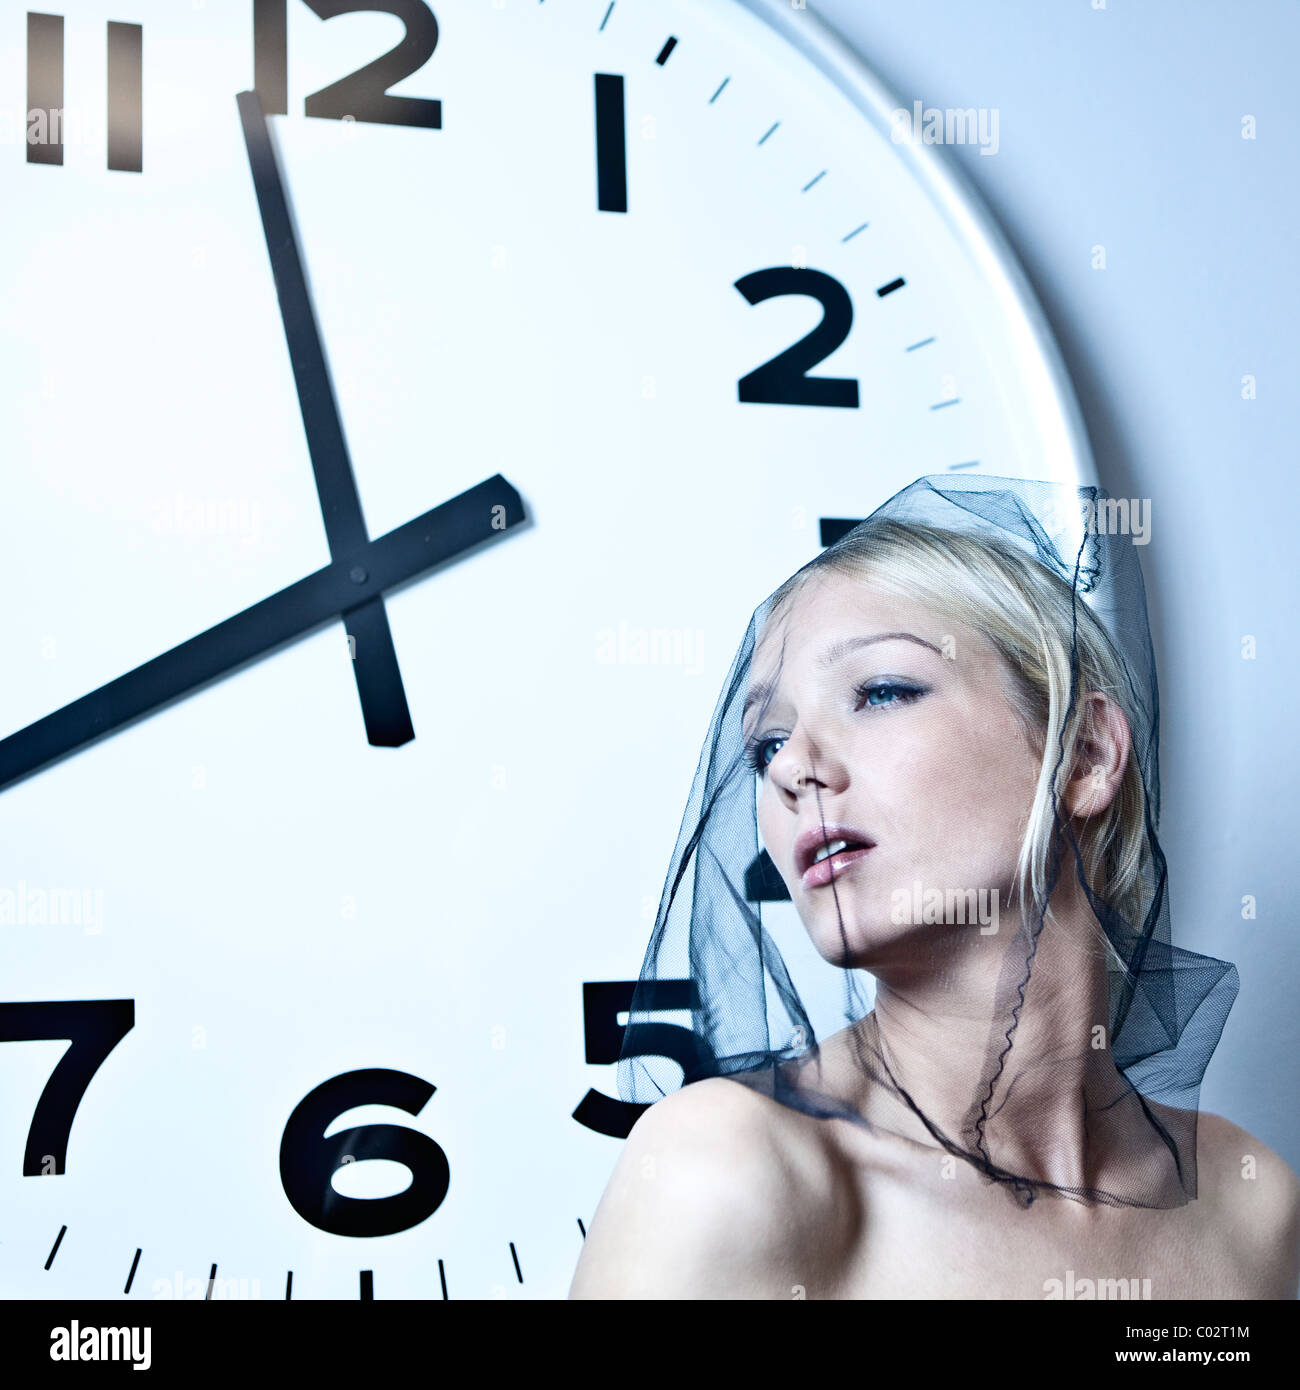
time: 11:40
